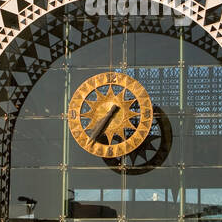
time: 1:34
